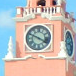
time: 3:48
